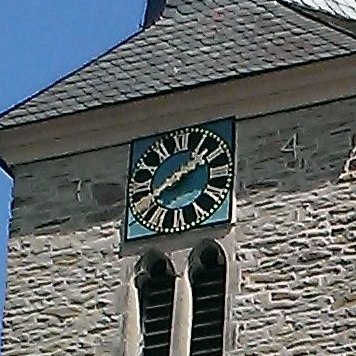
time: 1:39
